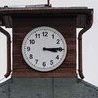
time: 3:14
